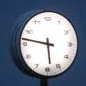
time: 5:46
